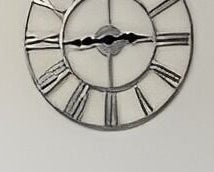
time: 2:44
